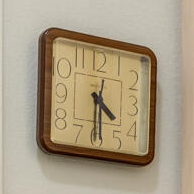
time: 4:29
